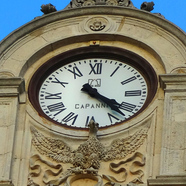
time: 4:22
